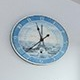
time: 11:37
